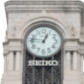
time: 12:46
